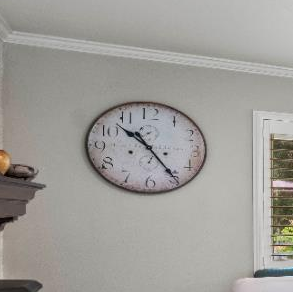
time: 10:24
